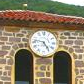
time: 4:46
